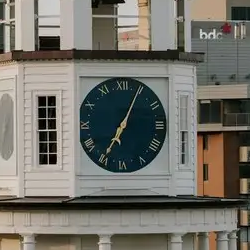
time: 7:04
